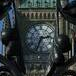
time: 2:34
